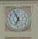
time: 6:56
